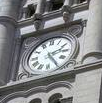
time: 2:24
